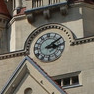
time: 3:09
